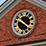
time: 9:20
